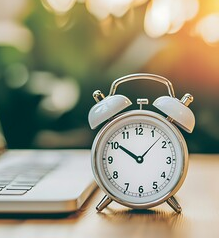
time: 10:07
